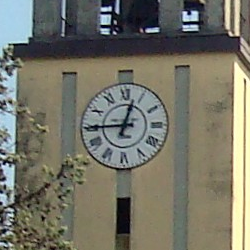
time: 12:45
